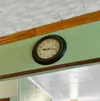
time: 9:17
